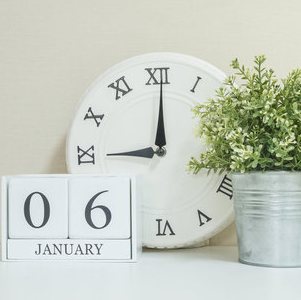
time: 9:00
